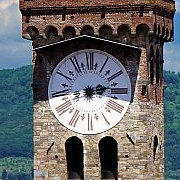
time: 2:42
